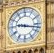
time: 9:17
